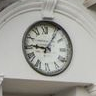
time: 9:06
